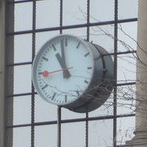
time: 10:58
